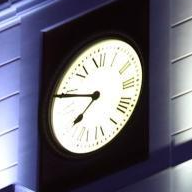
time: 7:48
